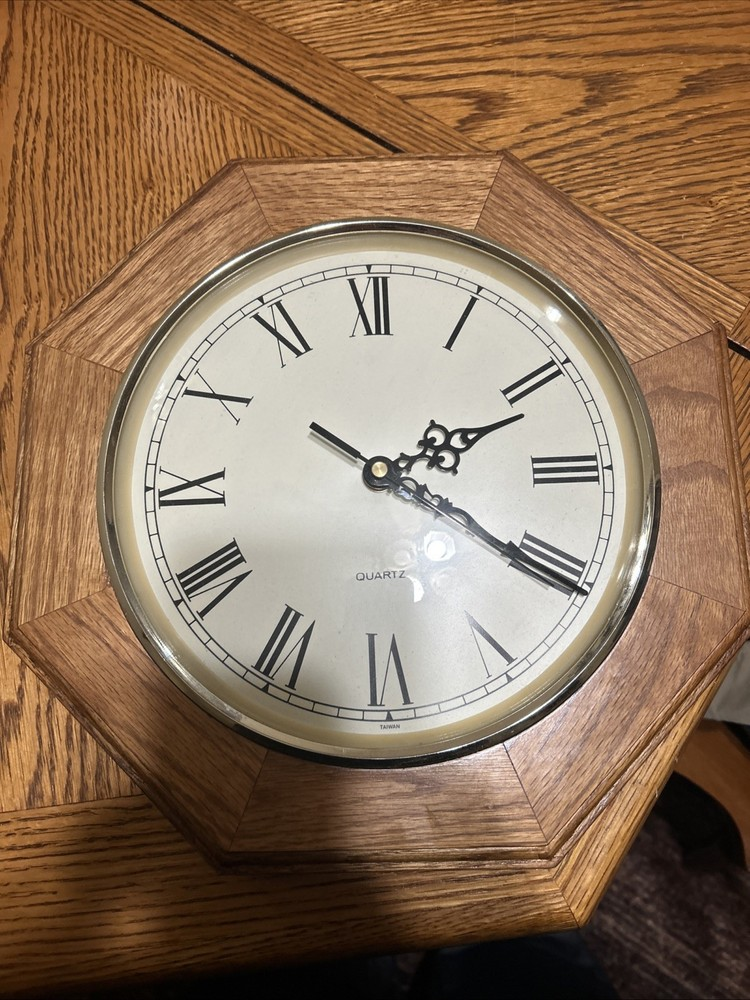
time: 2:20
